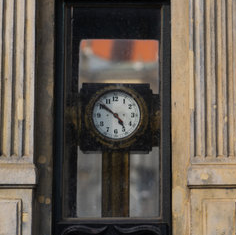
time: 4:51
